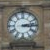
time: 3:12
